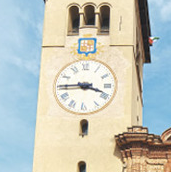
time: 3:44
